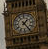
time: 1:24
